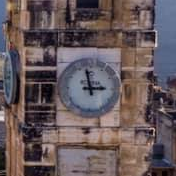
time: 2:58
